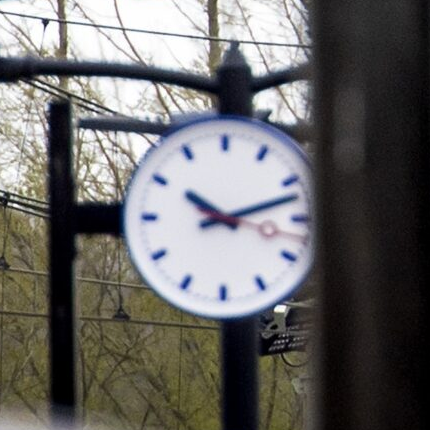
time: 10:12
